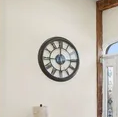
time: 5:59
